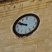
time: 9:50
